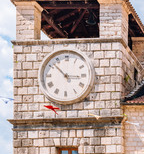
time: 2:52
